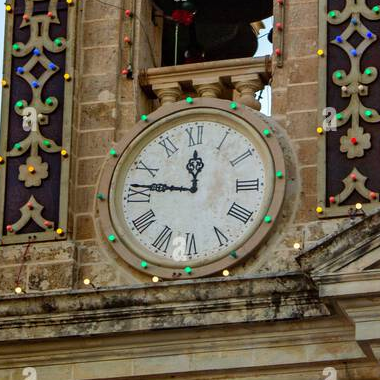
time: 11:46
